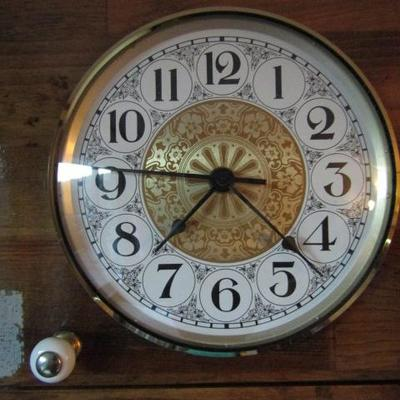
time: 7:46
